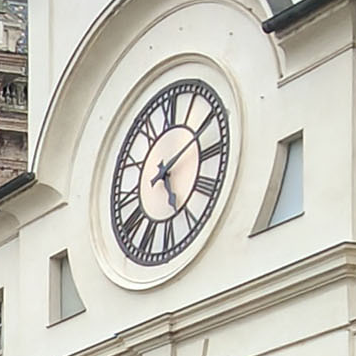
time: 5:11
